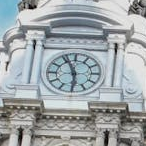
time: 5:56
